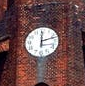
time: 12:12
